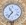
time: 10:36
